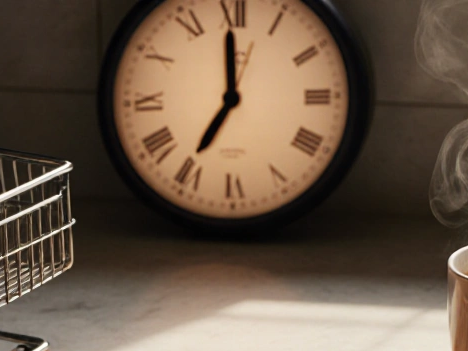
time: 6:59
